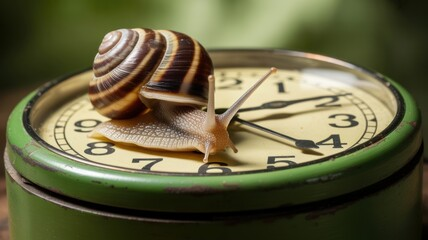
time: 2:21
